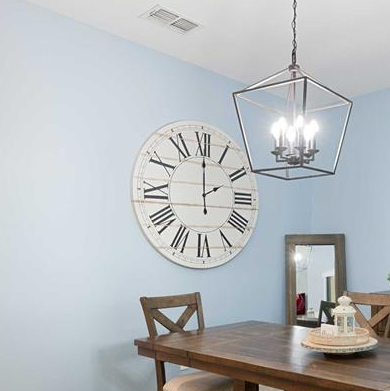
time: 2:00
